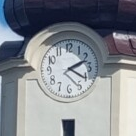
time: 2:20
